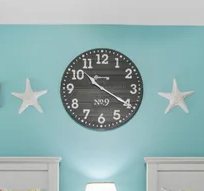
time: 10:20
